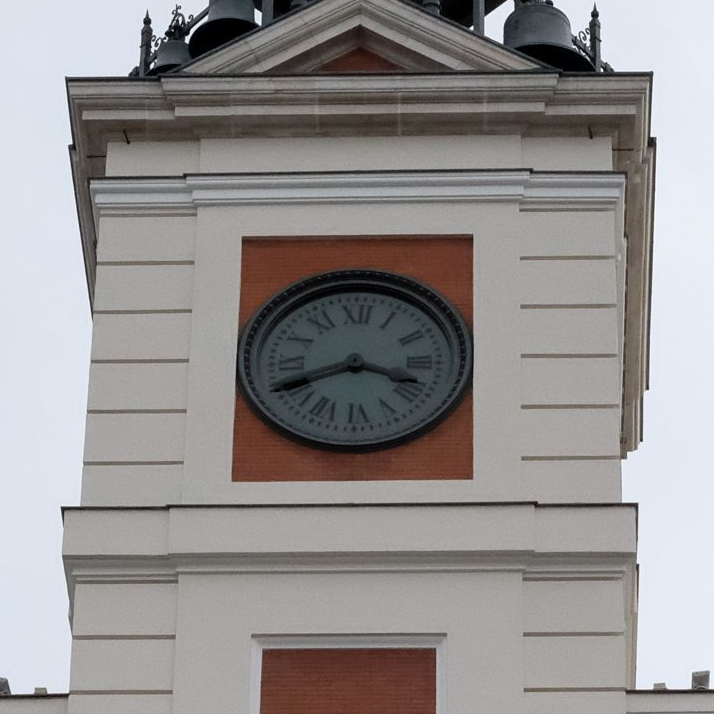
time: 3:40
